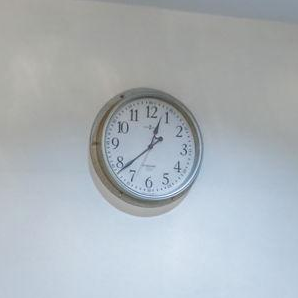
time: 12:38
